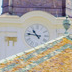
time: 10:46
